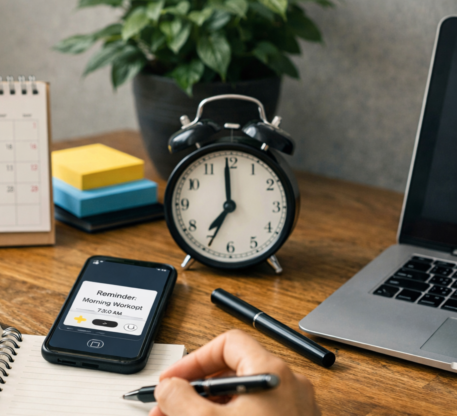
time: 6:59
